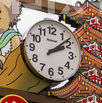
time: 2:08
